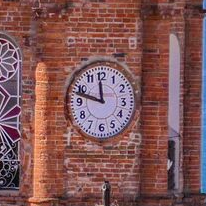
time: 11:47
